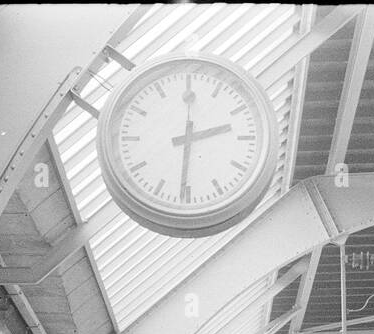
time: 2:30
